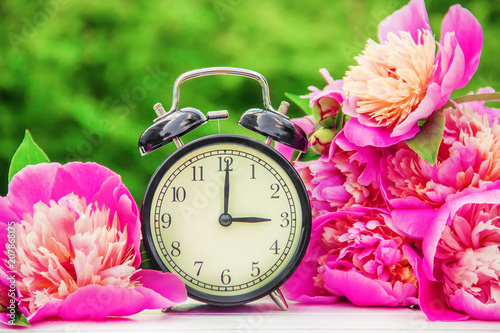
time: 3:00
